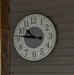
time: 10:46
